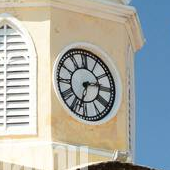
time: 2:33
